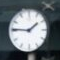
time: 1:46
